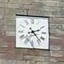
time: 2:23
